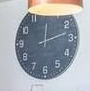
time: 12:12
